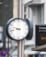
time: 9:42
